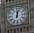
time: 12:03
